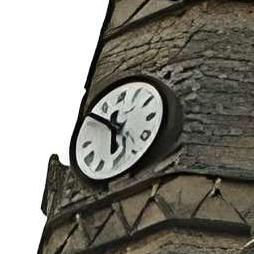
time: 5:51
